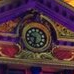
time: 9:32
